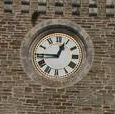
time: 12:45
